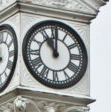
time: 11:00
